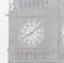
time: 8:07
